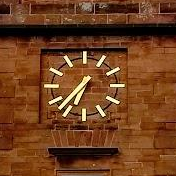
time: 6:36
